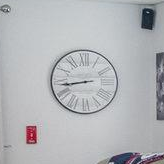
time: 8:43
